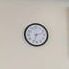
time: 2:33
